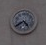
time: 4:40
